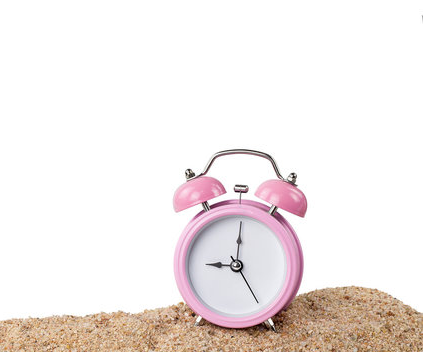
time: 9:01
